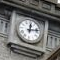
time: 12:12
